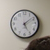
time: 5:08
